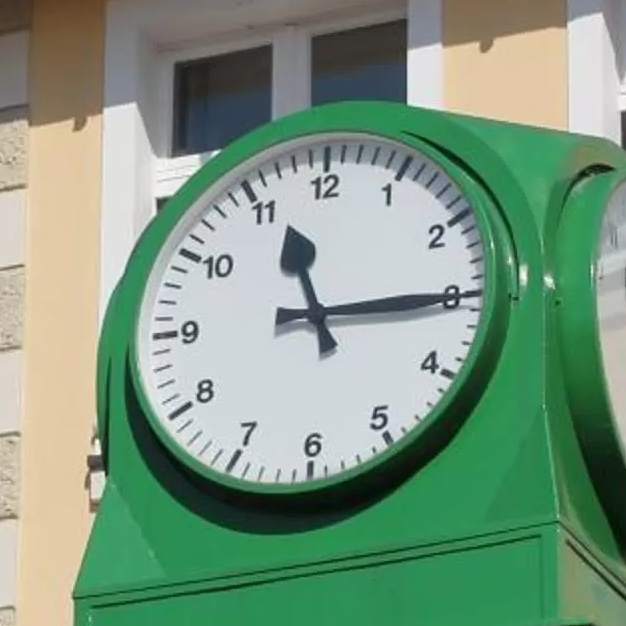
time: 11:14
